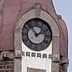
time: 1:54
